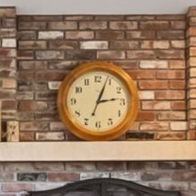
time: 3:03
